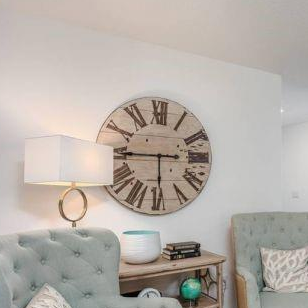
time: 5:45
